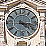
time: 4:16
